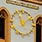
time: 11:07
